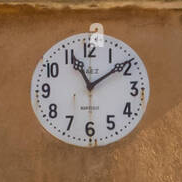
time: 11:09
